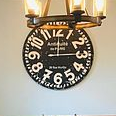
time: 12:14
